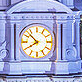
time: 7:52
